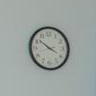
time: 3:51
